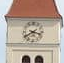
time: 3:39
